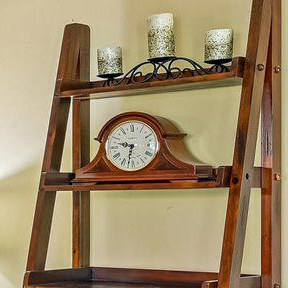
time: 9:32
